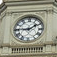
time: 1:45
